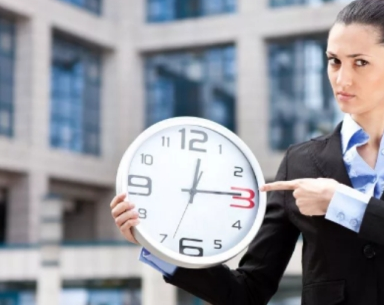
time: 12:14
